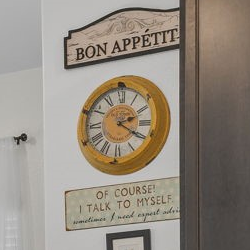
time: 2:20
